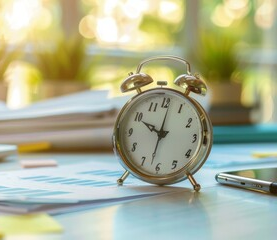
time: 10:01
